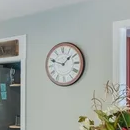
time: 1:48
